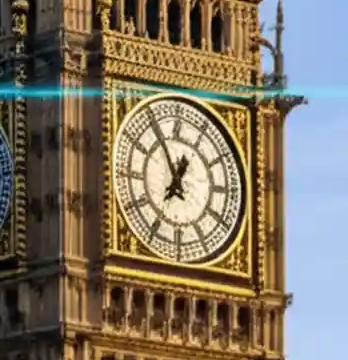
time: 12:55
